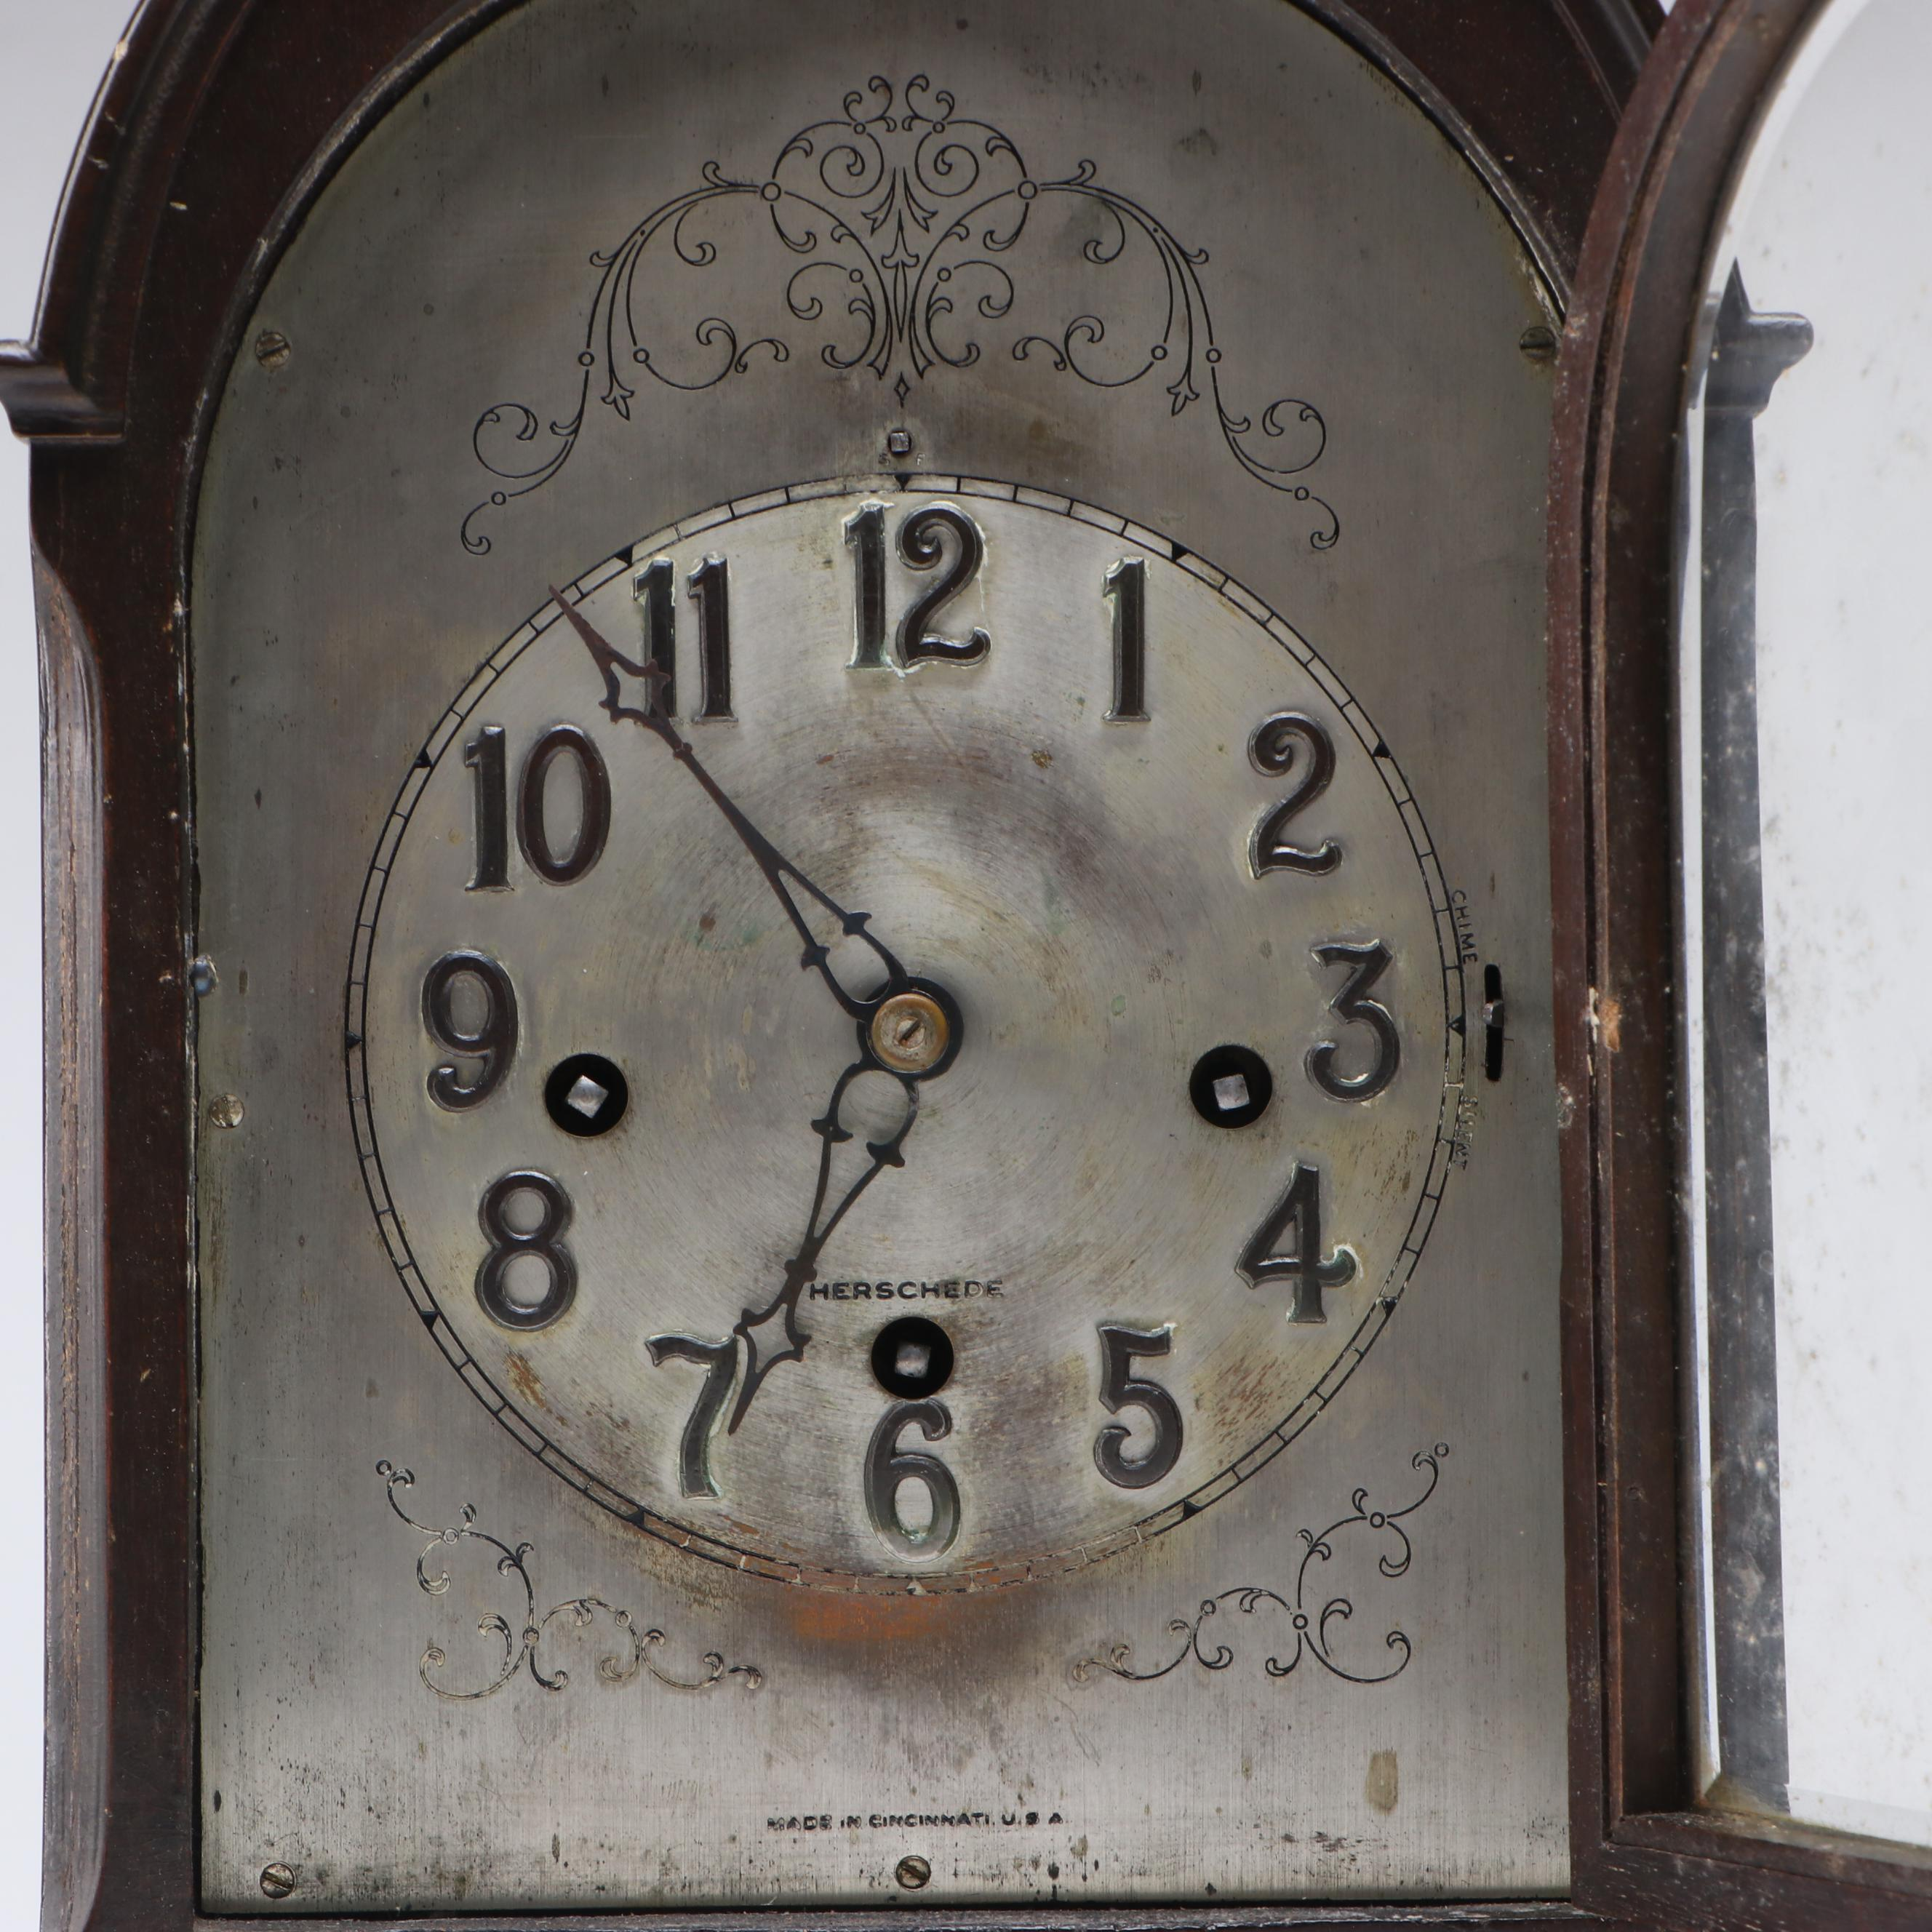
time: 6:53
